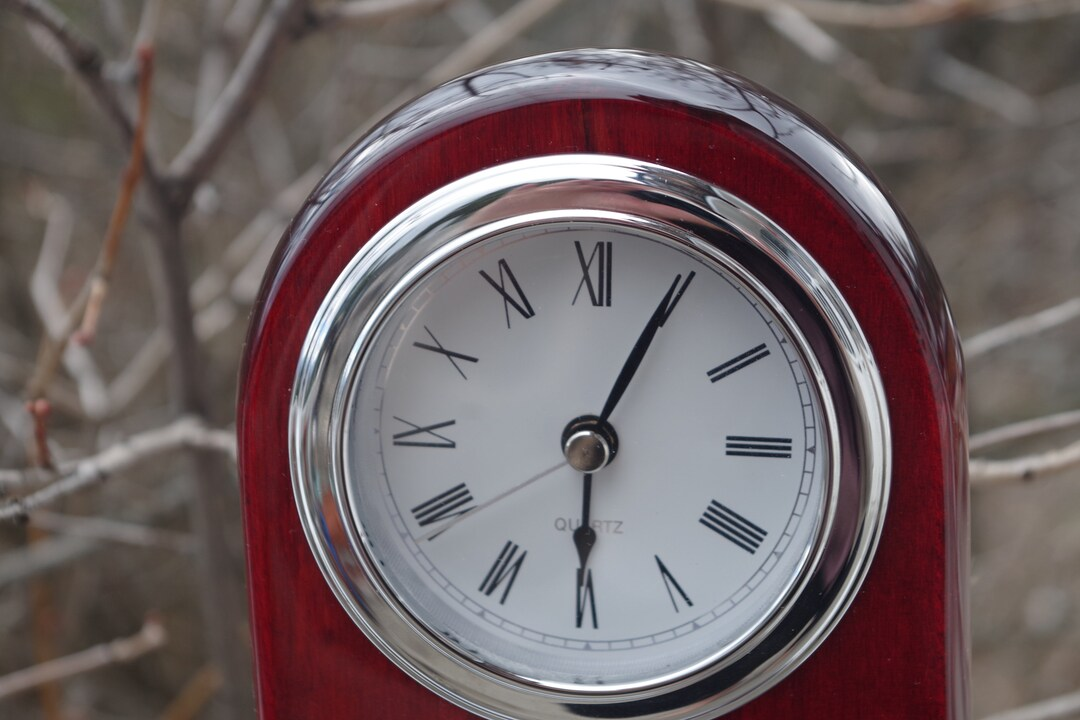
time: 6:04
